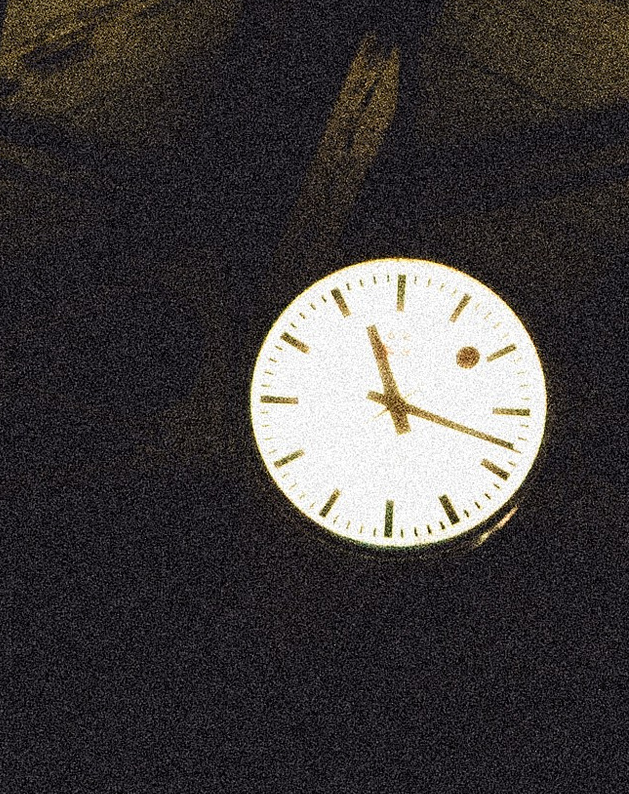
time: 11:17
